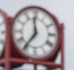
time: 11:36
